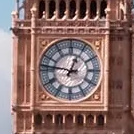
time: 12:47
